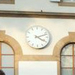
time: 4:11
